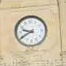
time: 9:40
